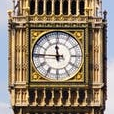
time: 11:45
